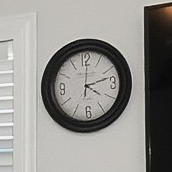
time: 4:12
